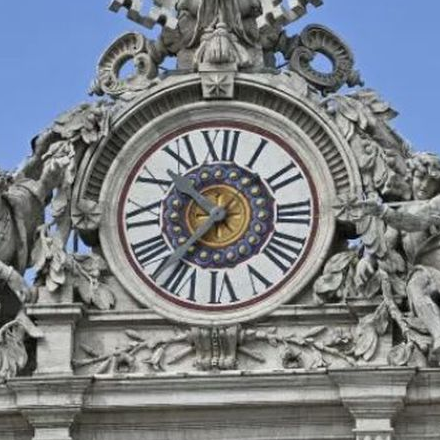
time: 10:36
